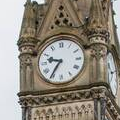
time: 9:35
